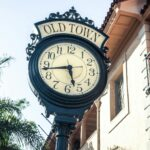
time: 5:43
